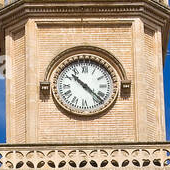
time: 10:22
